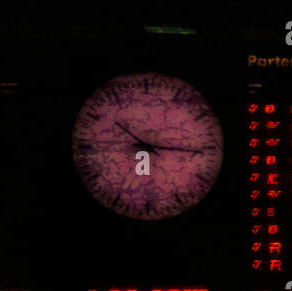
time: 10:15
